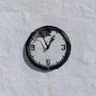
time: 12:55
